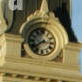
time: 2:38
